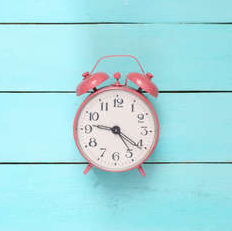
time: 9:20
